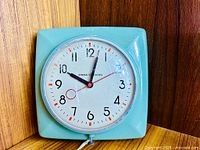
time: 10:02
